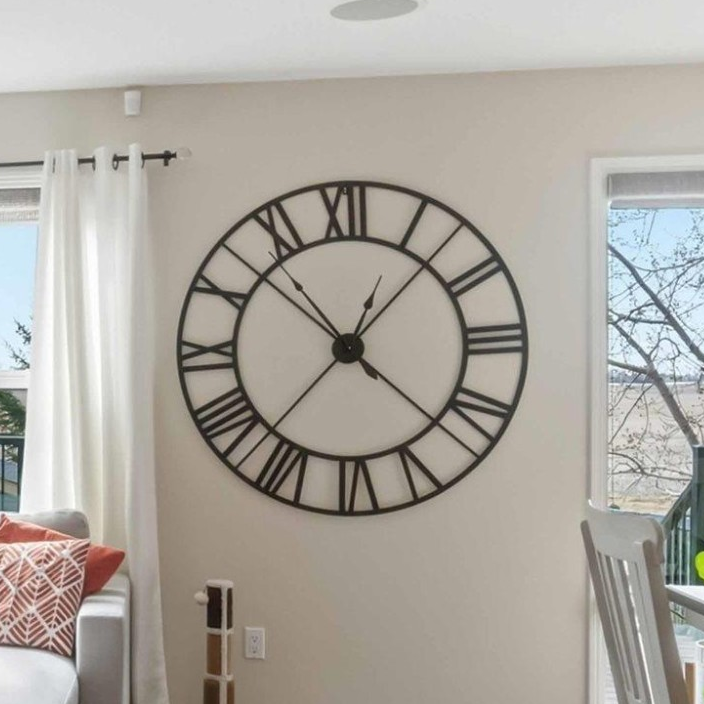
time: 12:52
